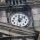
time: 12:07
